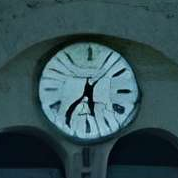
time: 5:36
